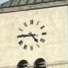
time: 4:44
